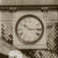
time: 10:14
